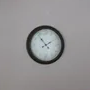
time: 1:53
